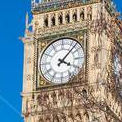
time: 4:07
